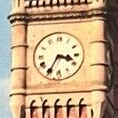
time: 3:34
